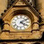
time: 4:09
